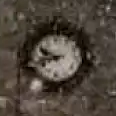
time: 9:42
